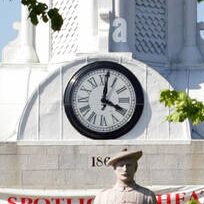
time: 4:01
